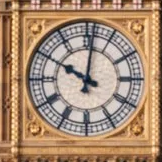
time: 10:00
